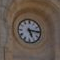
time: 5:15
